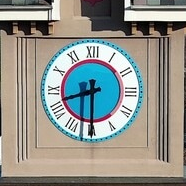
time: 8:30
